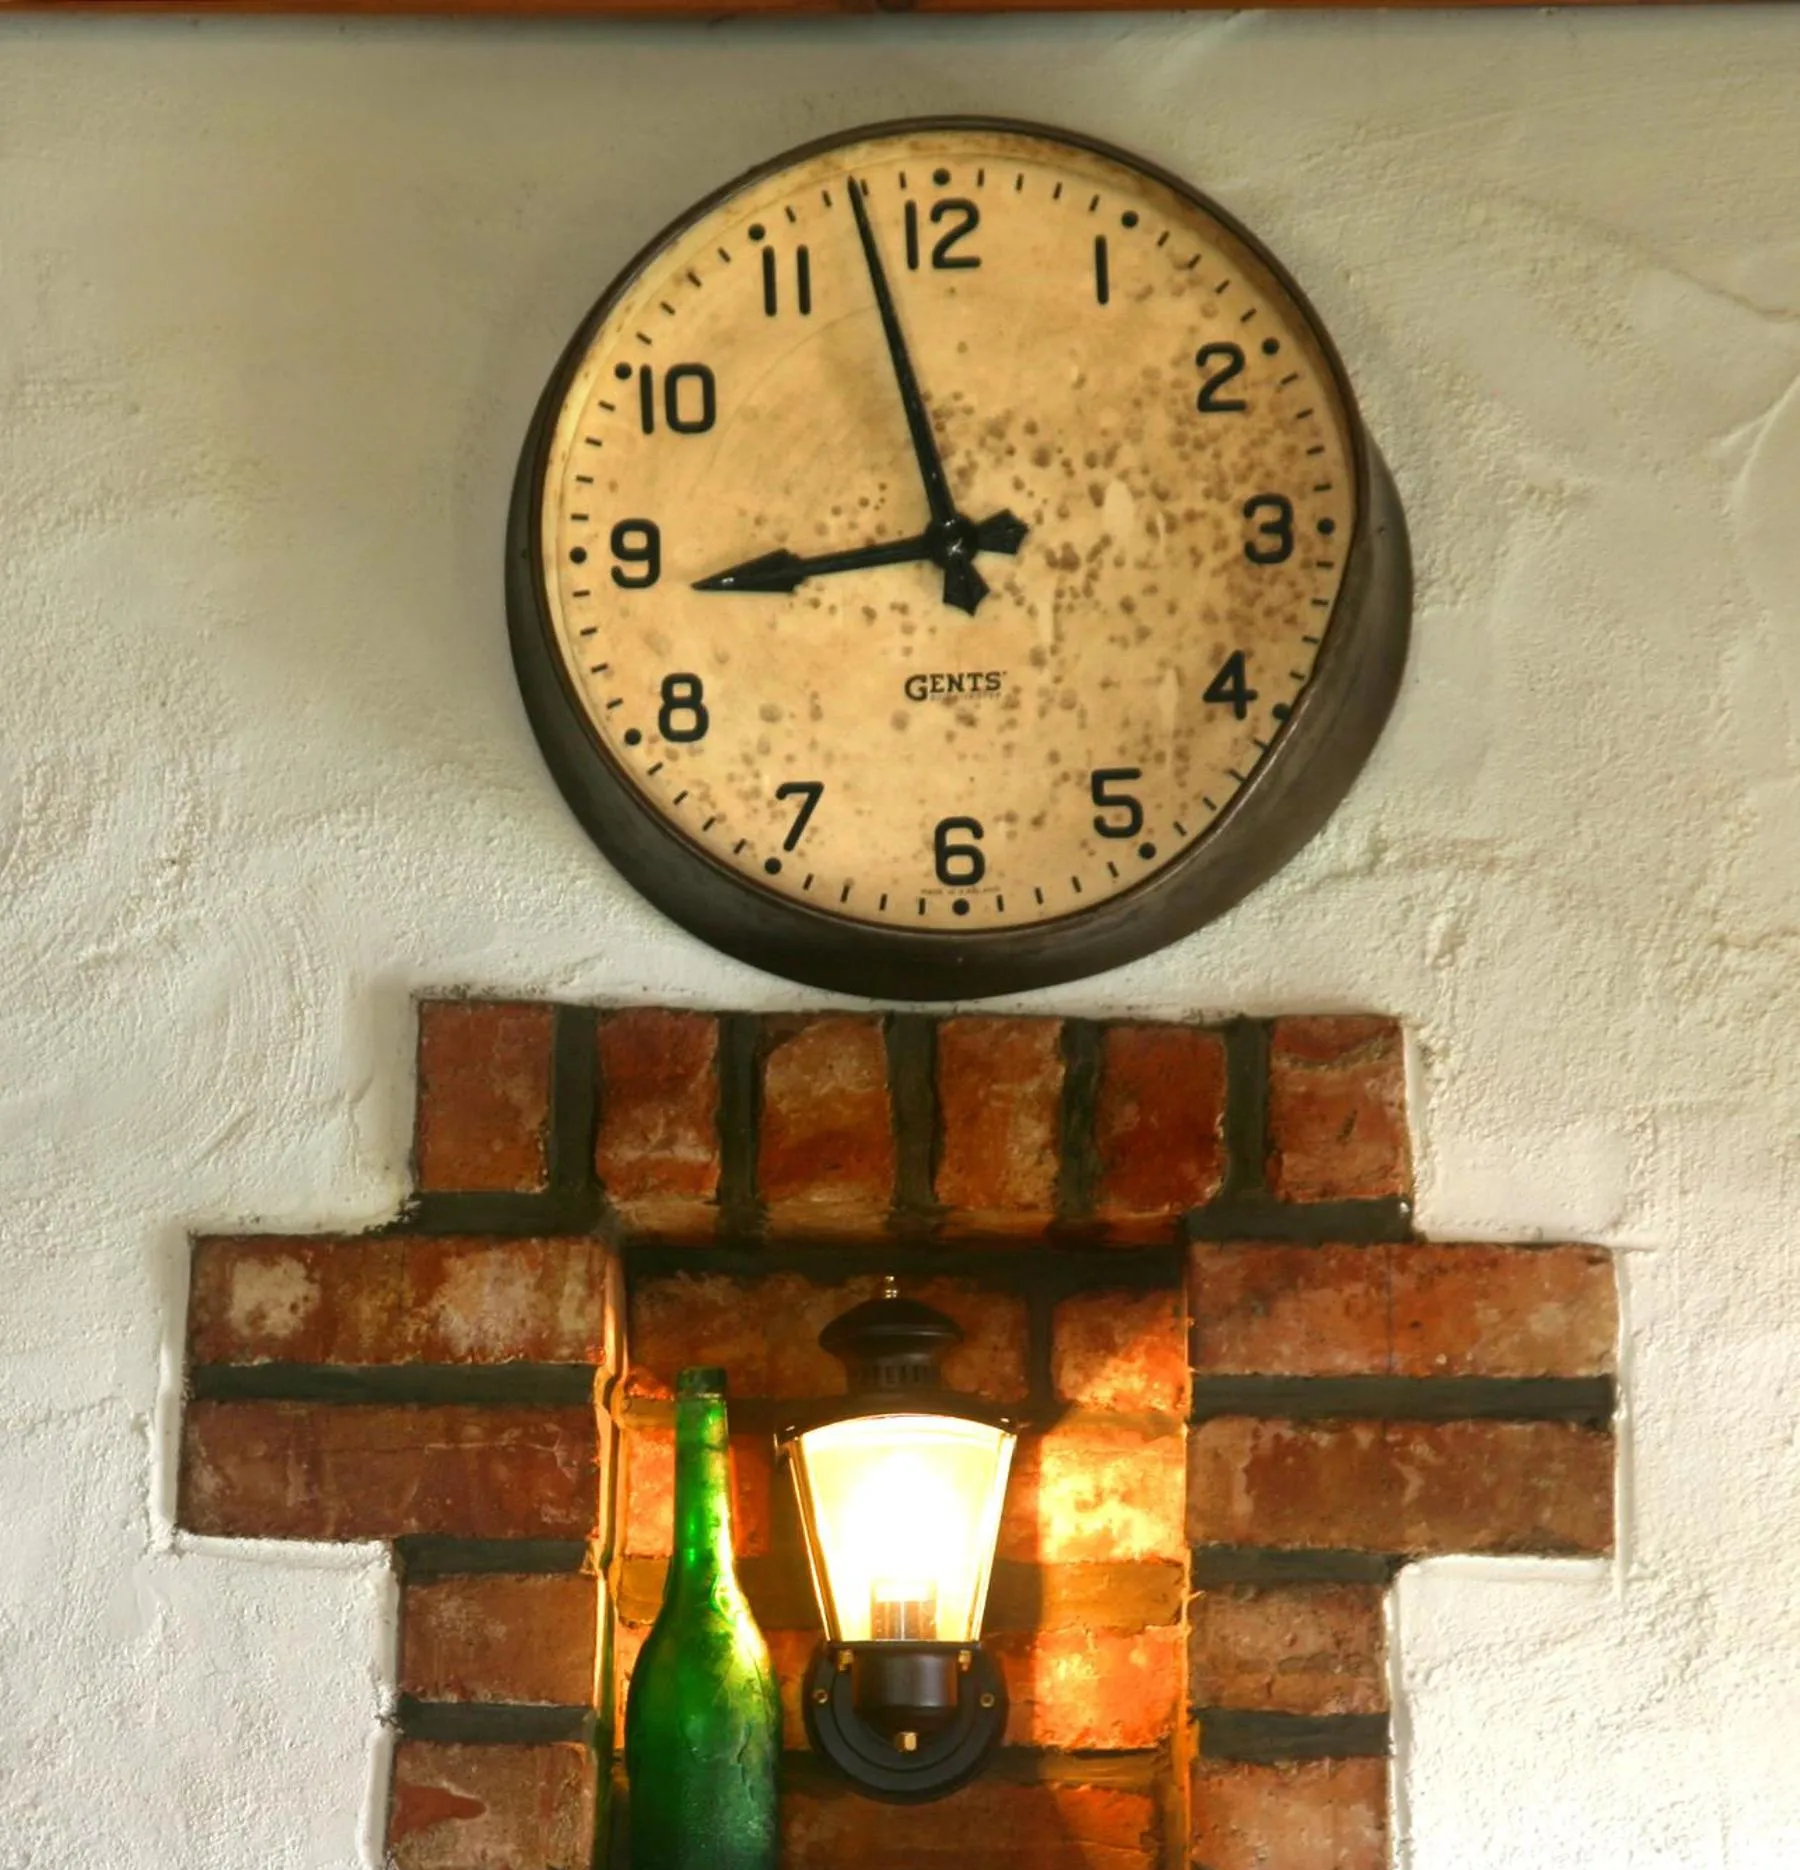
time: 8:57
